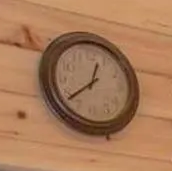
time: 12:38
